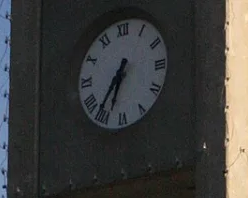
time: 6:36
